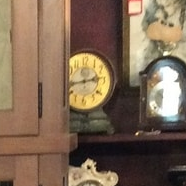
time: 2:43
